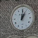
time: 1:00
